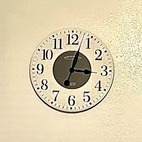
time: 3:03
